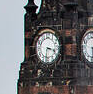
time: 3:31
